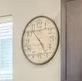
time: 4:52
